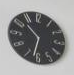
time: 10:32
